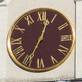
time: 12:34
